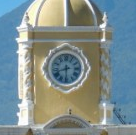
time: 8:30
